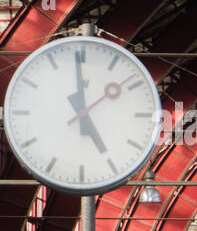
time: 4:59
